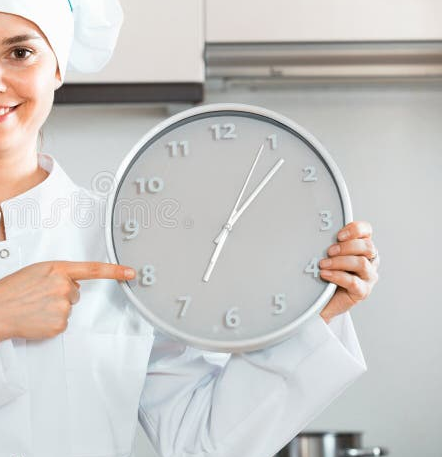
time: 1:07
